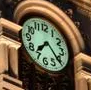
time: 7:21
